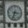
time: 3:33
